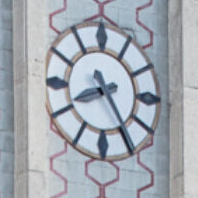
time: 8:24
